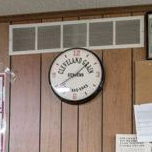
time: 1:39
